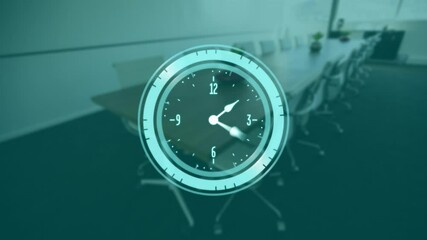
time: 1:19
